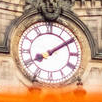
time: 8:09
